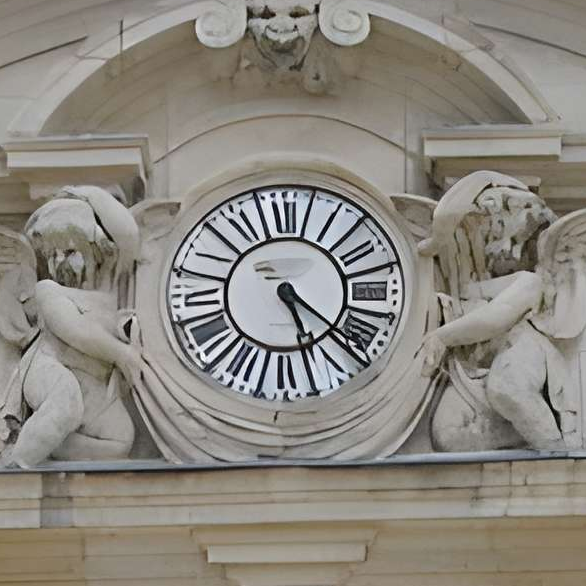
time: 5:21
